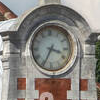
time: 3:34
